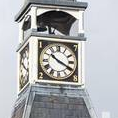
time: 10:19
